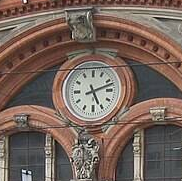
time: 5:12
